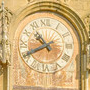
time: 10:40
